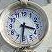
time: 3:31
